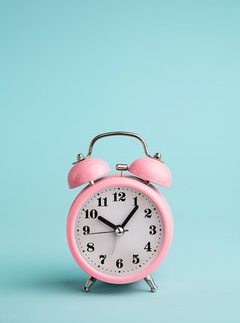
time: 10:06
